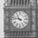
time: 10:47
